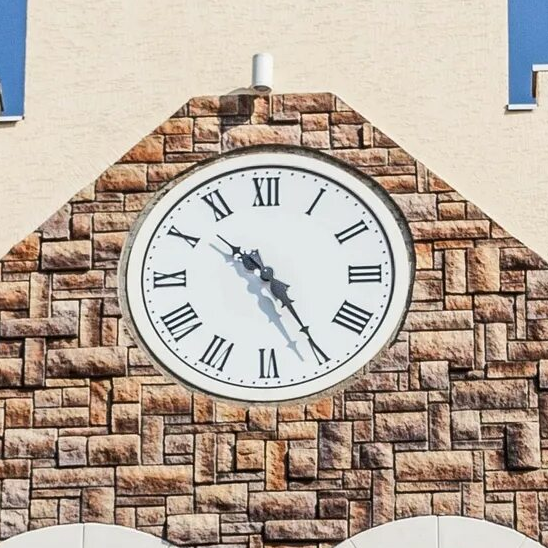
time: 10:24
